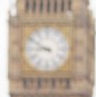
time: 8:50
